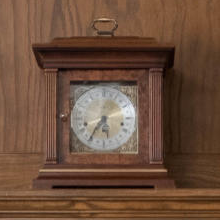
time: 5:35
